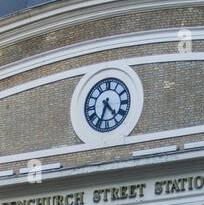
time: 4:33
